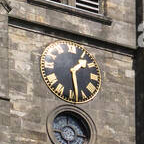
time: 1:28
